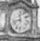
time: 11:42
